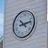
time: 10:12
